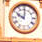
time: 10:00
